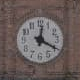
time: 12:19
